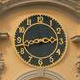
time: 2:42
